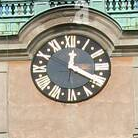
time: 12:19
